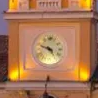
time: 4:48
